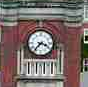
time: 3:36
